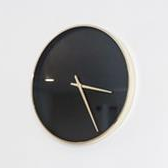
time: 3:24
